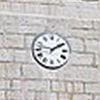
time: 1:46
